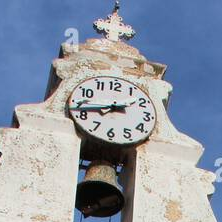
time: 7:42
